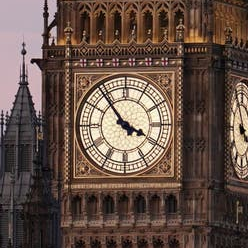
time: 3:53
